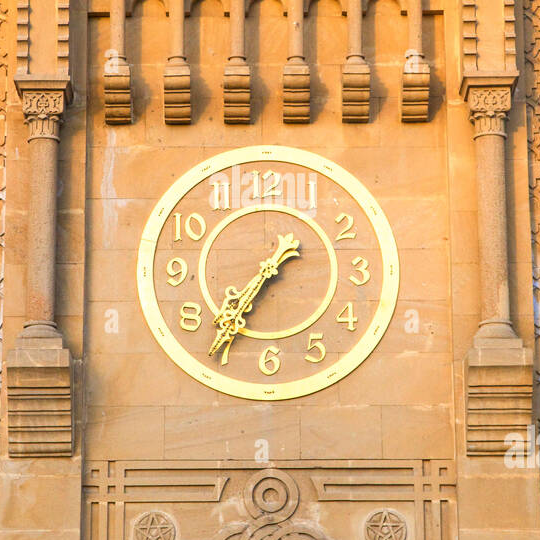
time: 1:36
